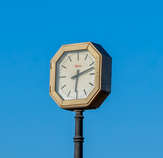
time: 6:12
